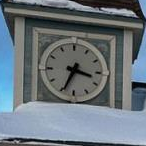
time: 3:34
